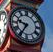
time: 9:35
